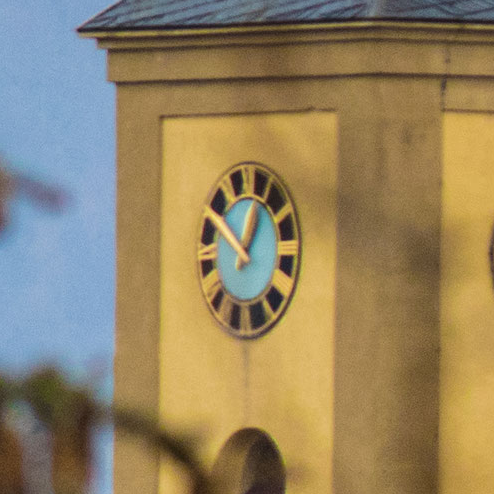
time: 12:49
